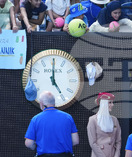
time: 5:00
